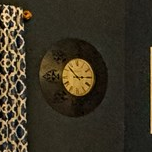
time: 2:52
